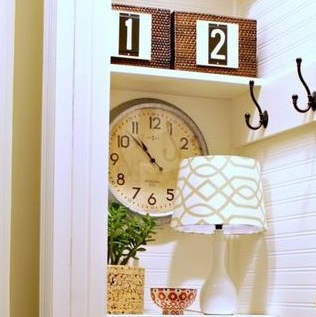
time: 10:52
